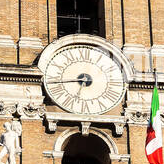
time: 6:43
